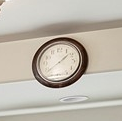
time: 1:38
